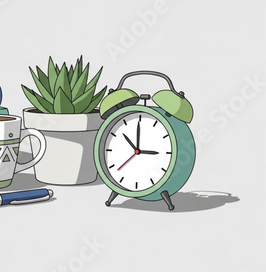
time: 2:52
